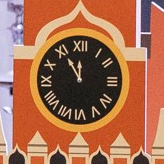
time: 11:55
